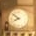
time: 7:52
